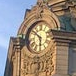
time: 5:51
